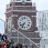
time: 7:34
